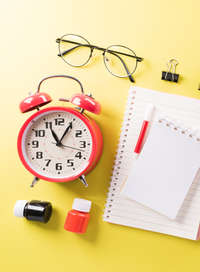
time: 11:05
